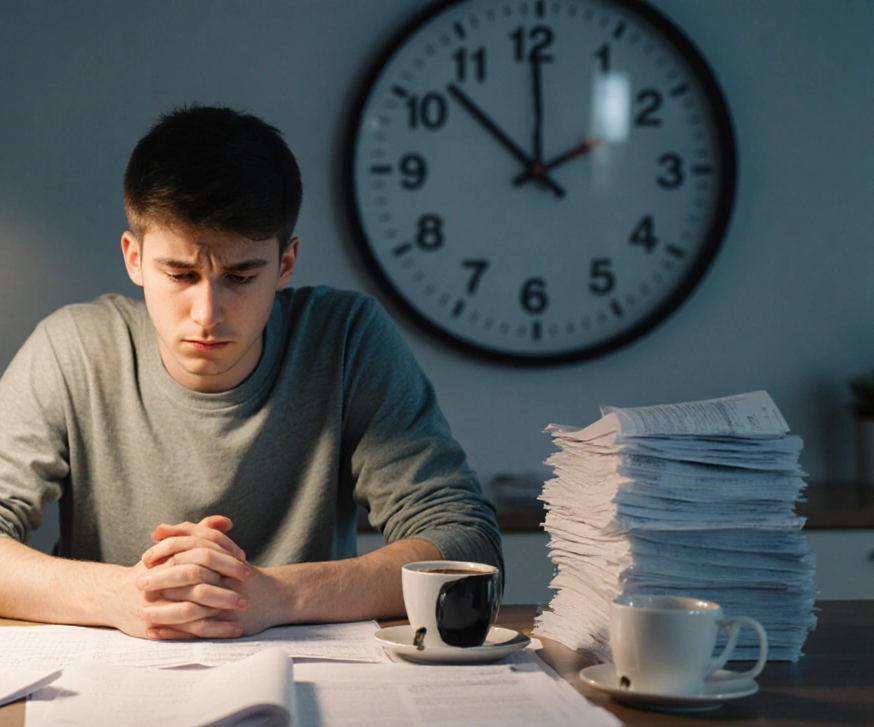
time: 1:52
